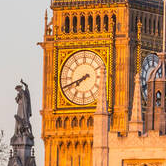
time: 7:41
